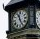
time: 11:25
